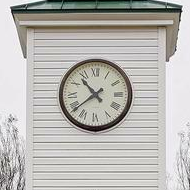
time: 10:38
